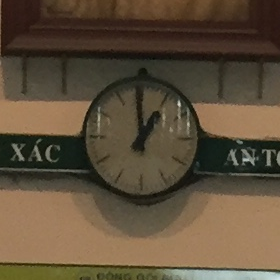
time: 12:59
